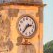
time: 2:36
